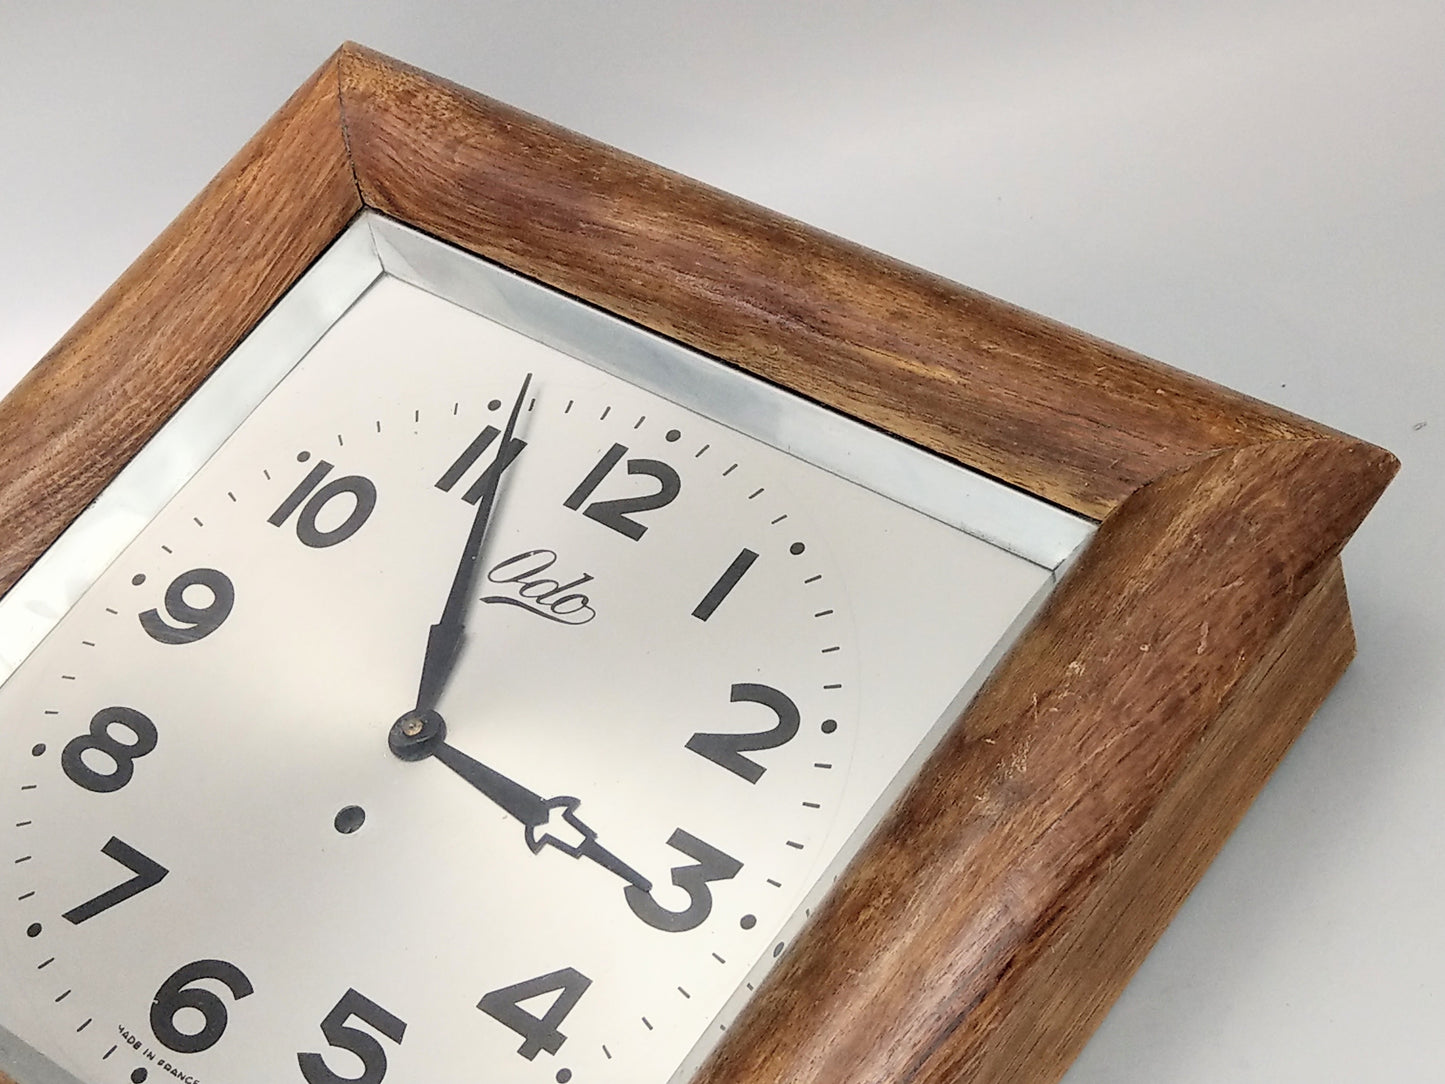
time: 3:58
